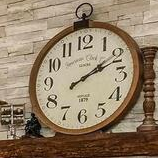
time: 2:09
